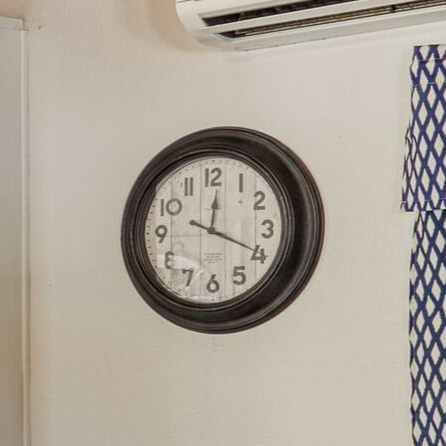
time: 12:19
